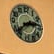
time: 2:38
